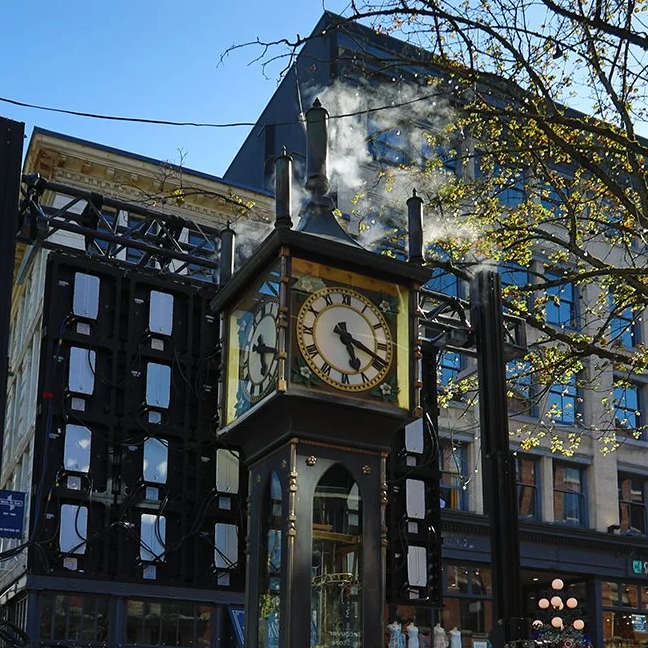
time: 5:18
